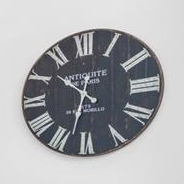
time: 10:32
